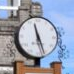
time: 11:26
